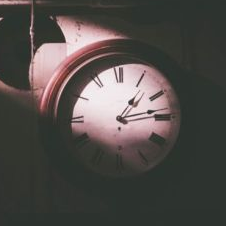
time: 1:13
